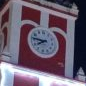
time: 7:46
